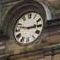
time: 2:47
